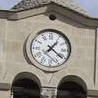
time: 1:21
